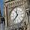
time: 11:37
